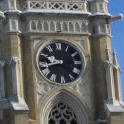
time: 9:42
